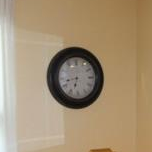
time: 6:42
